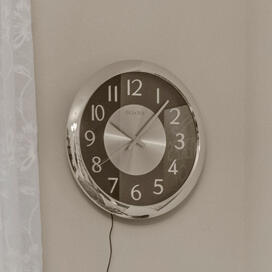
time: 10:07
